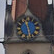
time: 11:28
